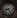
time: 8:25
